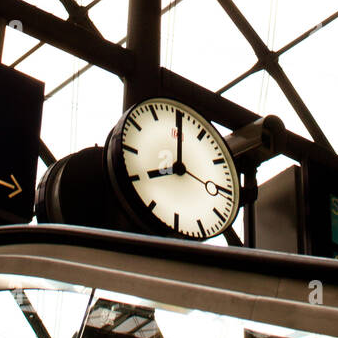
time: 8:00
